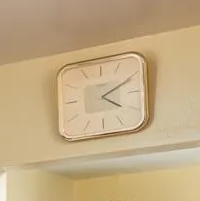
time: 4:10
